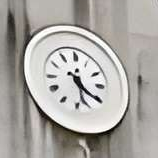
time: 5:20
